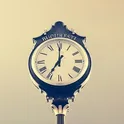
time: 7:00
